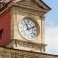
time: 11:10
